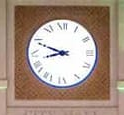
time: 8:48
